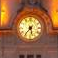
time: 5:36
